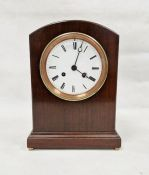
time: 4:02
